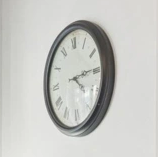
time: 4:14
